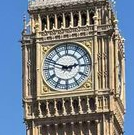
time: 2:48
